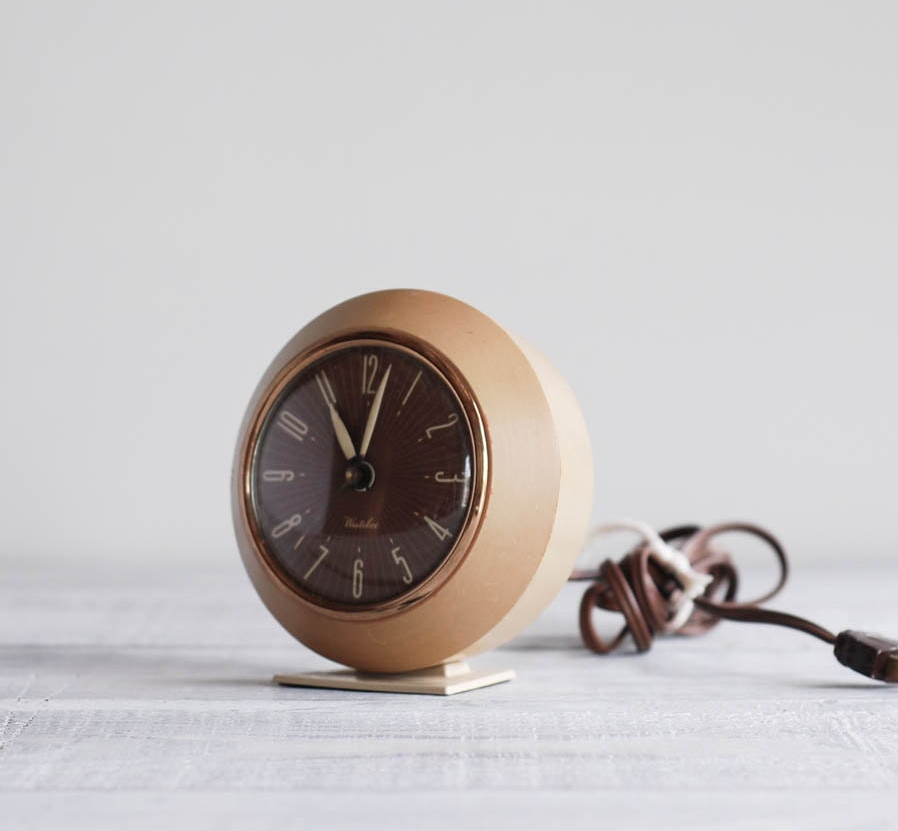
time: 11:01
